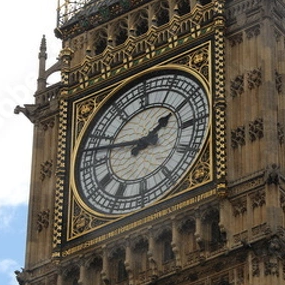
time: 1:47
